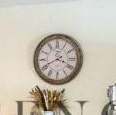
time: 3:40
